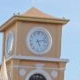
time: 5:12
